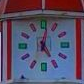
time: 5:01
